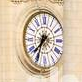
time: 7:33
